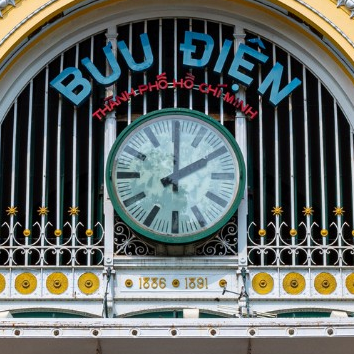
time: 2:00
